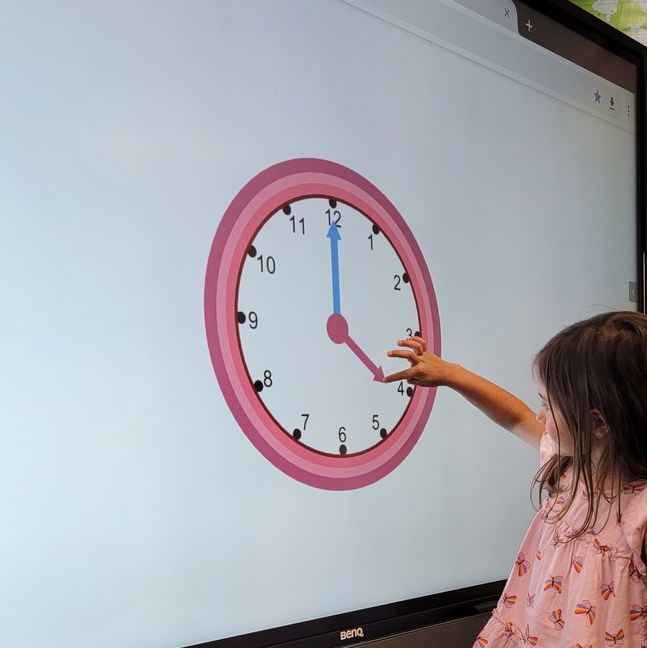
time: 4:00
